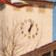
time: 1:02
